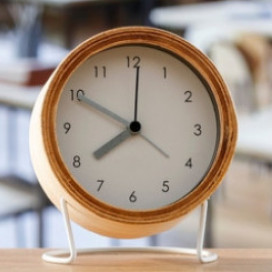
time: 7:49
